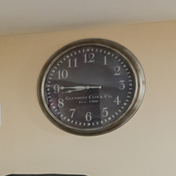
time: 8:46
